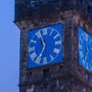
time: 6:56
